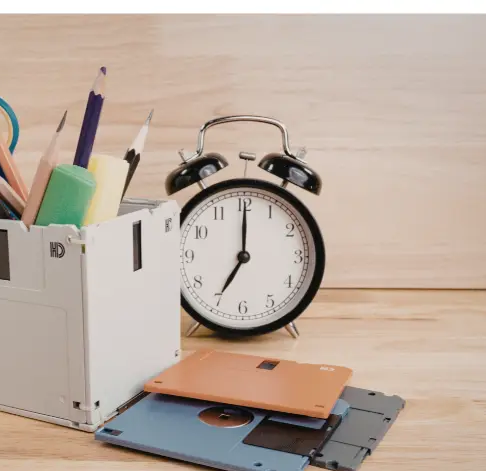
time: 7:00
